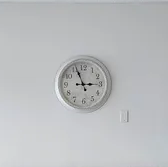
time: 2:56
